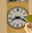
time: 8:18
